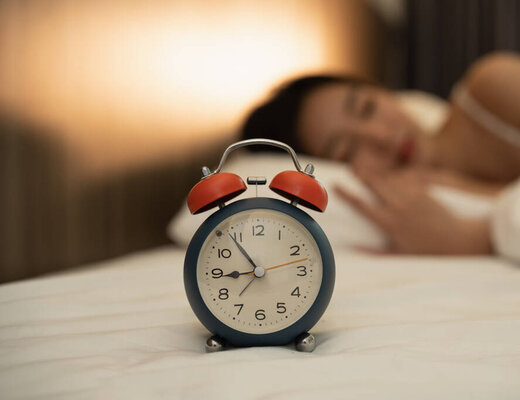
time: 8:53
